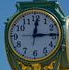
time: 12:14
